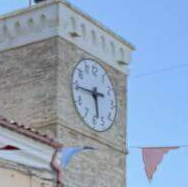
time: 5:44
